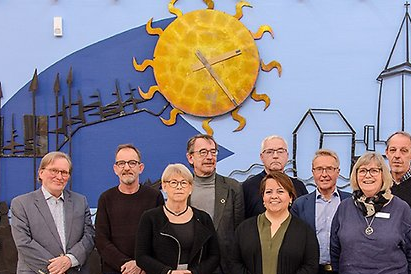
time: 2:23
